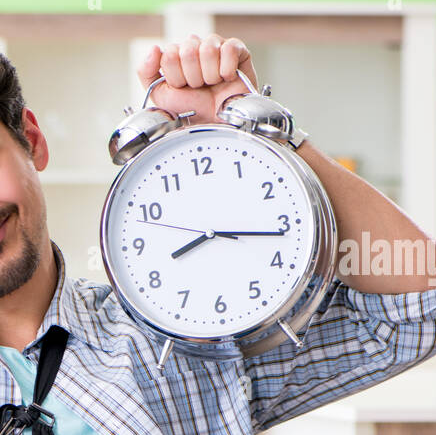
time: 8:16
